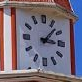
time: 3:07
